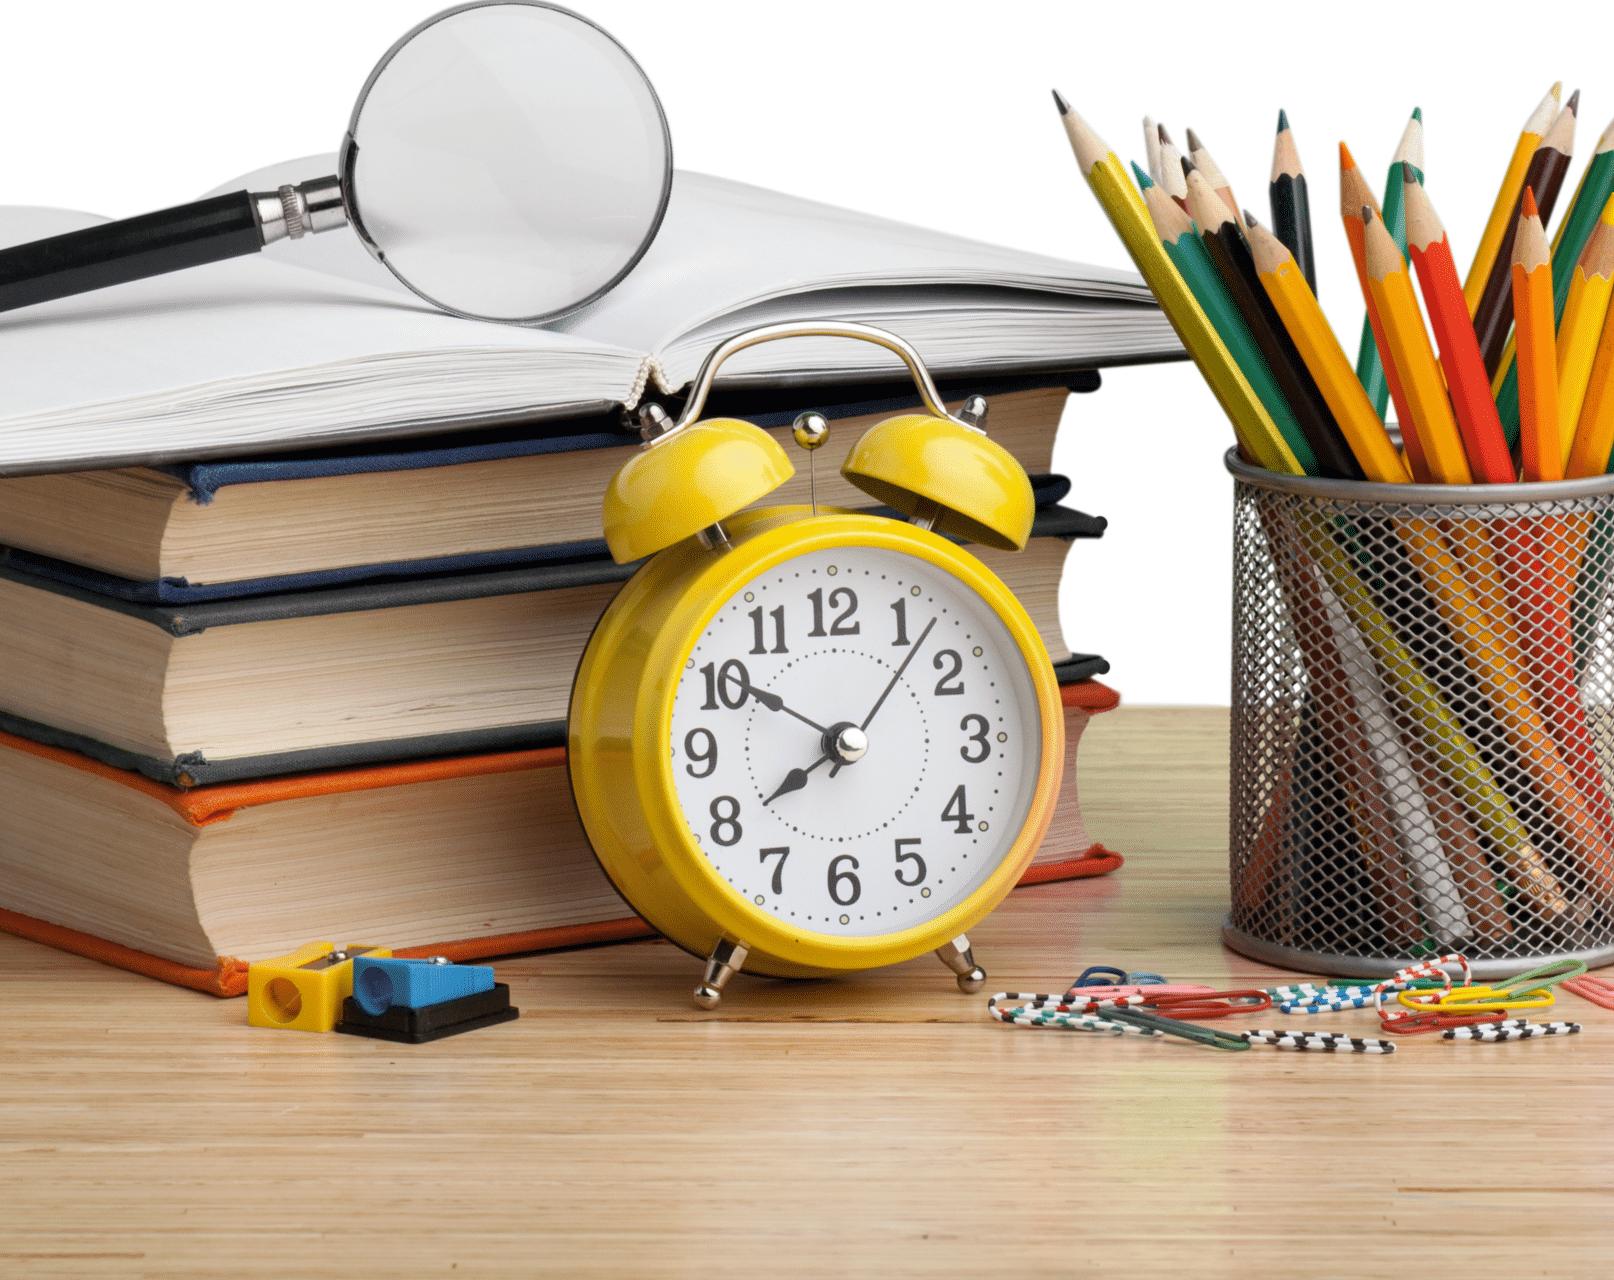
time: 7:50
